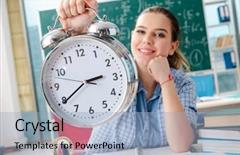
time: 2:39
